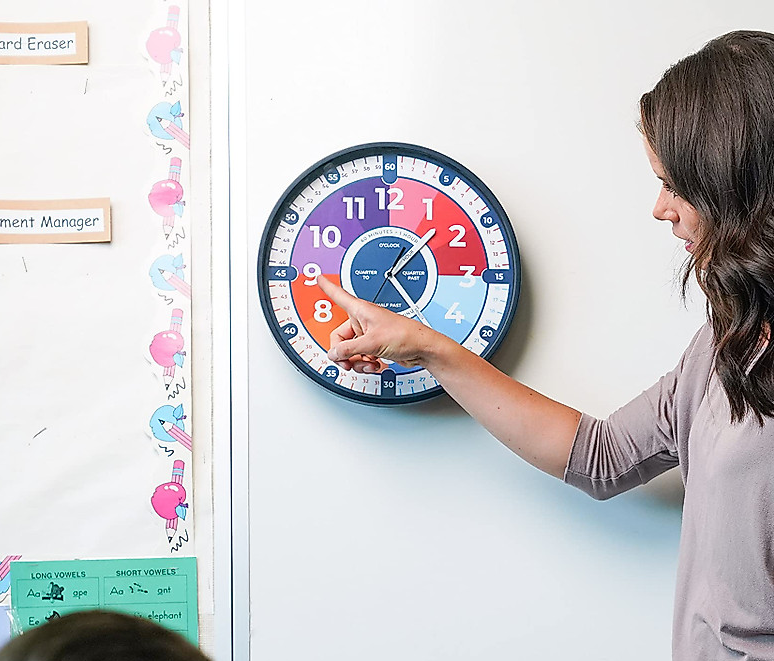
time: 1:22
